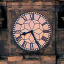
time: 8:25
